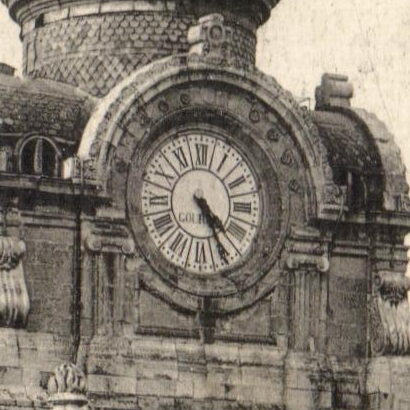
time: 4:25
